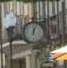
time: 12:03
